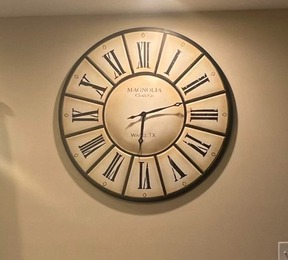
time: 6:12
